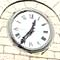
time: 12:36
